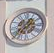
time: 1:37
